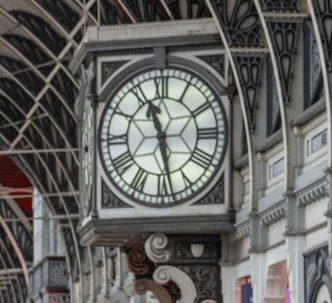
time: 11:28
